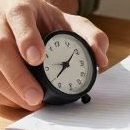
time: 1:38
